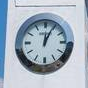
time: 12:04
